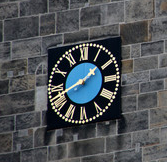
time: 1:41
